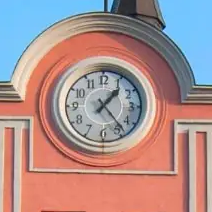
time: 1:23
